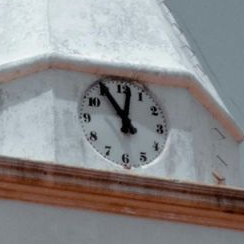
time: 11:01
